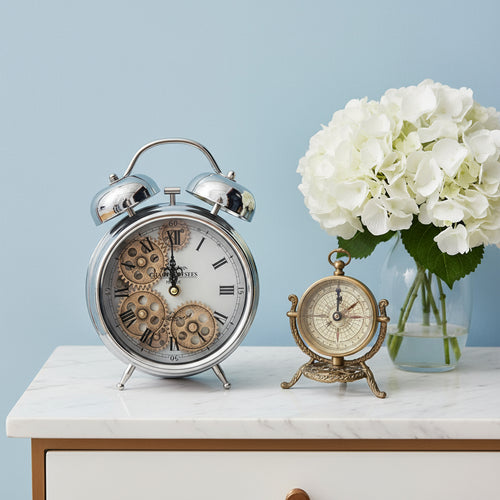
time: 11:59
